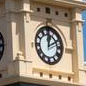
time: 12:10
